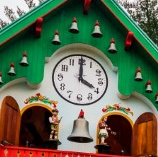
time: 4:00
